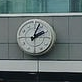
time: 2:03
